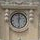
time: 12:28
